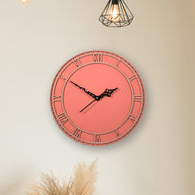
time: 1:50
